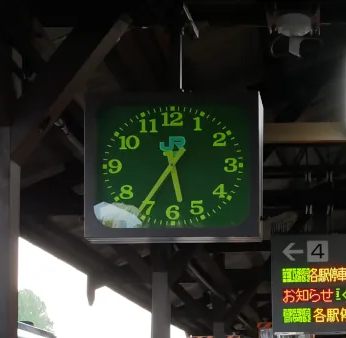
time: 5:35
